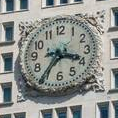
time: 3:36
